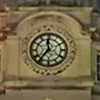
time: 11:36
